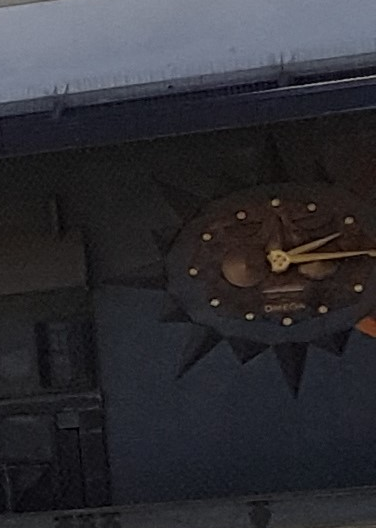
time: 2:15
